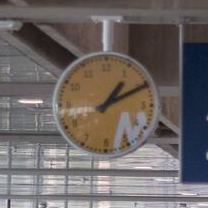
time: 1:10
